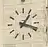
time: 1:18
